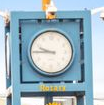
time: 9:45
